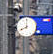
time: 7:59
